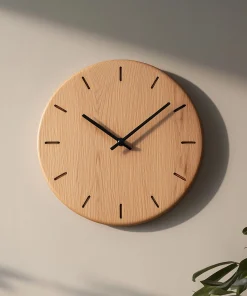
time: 10:08
